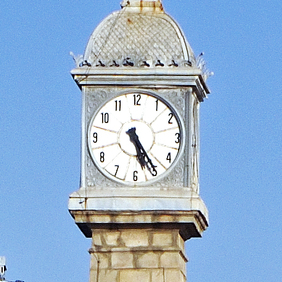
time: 5:24
